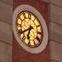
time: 6:39
